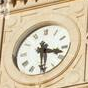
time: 3:29
